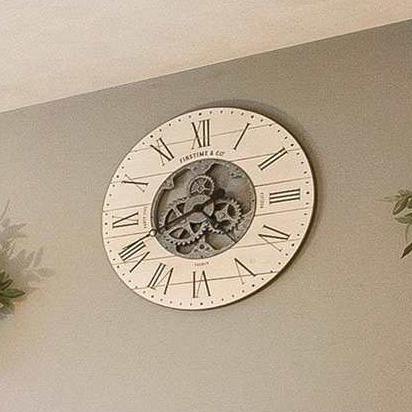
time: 12:41
